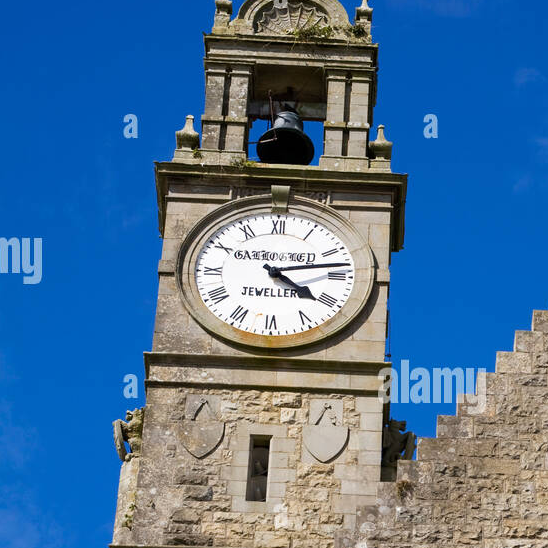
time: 4:12
